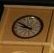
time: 9:51
